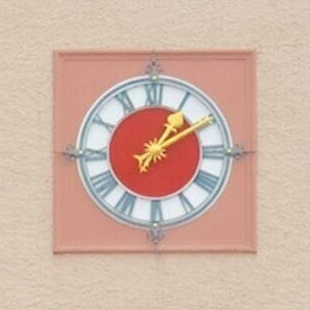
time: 1:09
